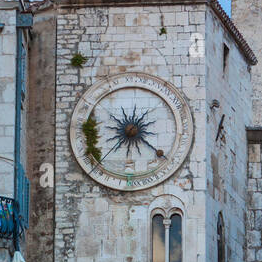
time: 1:21
